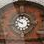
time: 9:48
